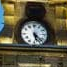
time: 5:22
